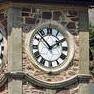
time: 1:52
